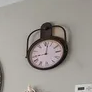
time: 9:01
